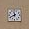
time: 11:40
